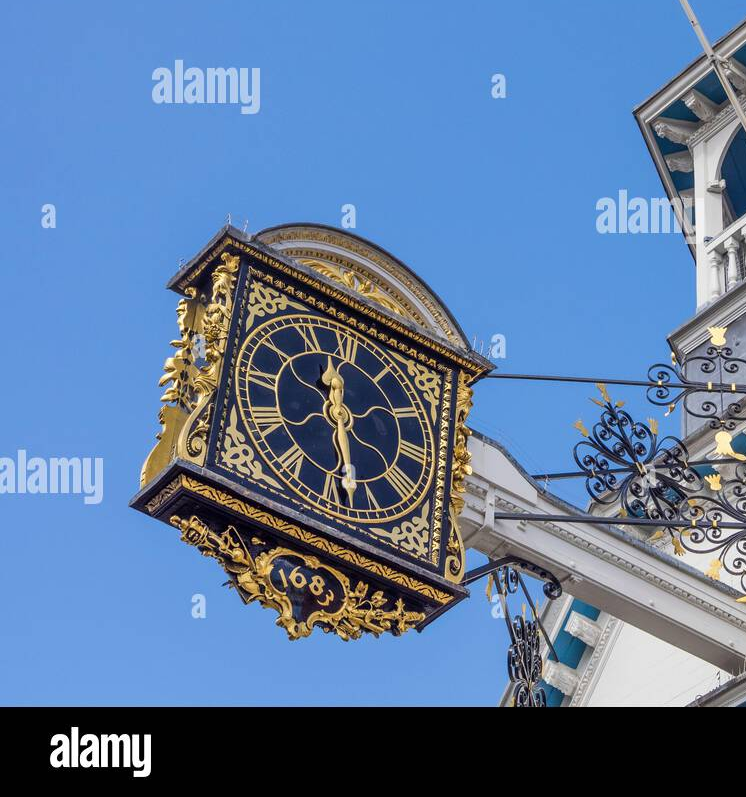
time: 12:28
